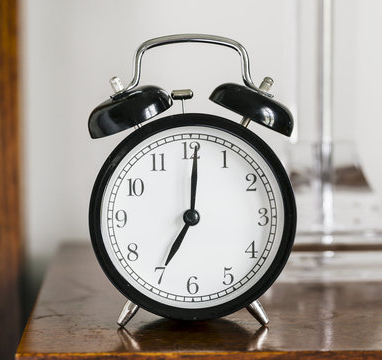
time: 7:01
